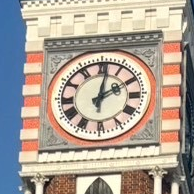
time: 2:01
